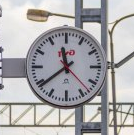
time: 11:38
